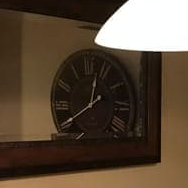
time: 12:40
